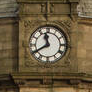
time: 11:40
